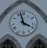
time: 3:58
